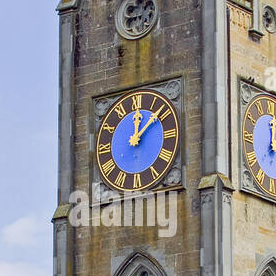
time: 12:08
